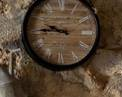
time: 9:45
